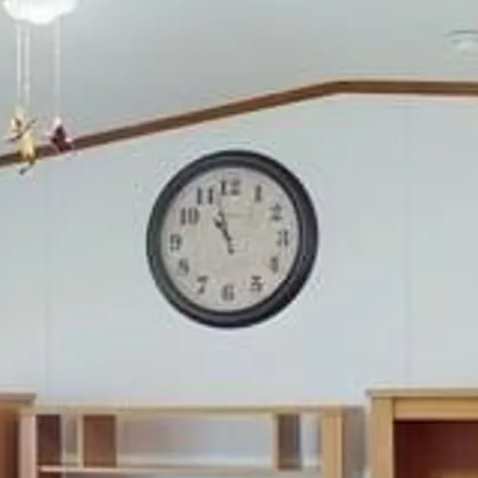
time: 10:57
